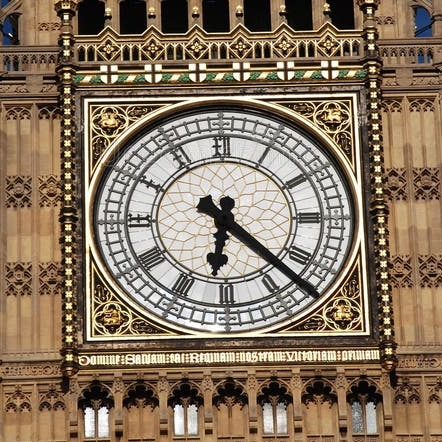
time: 6:22
